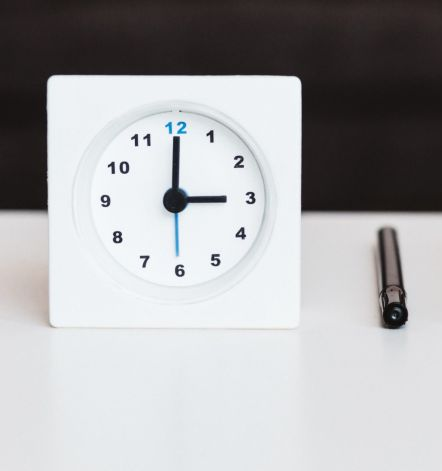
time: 3:00
